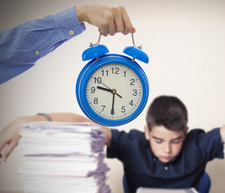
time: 9:30
